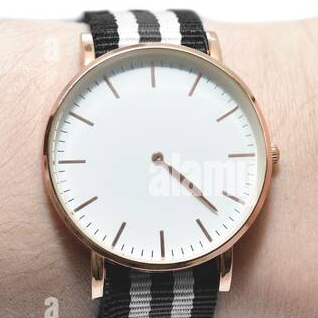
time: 4:22
